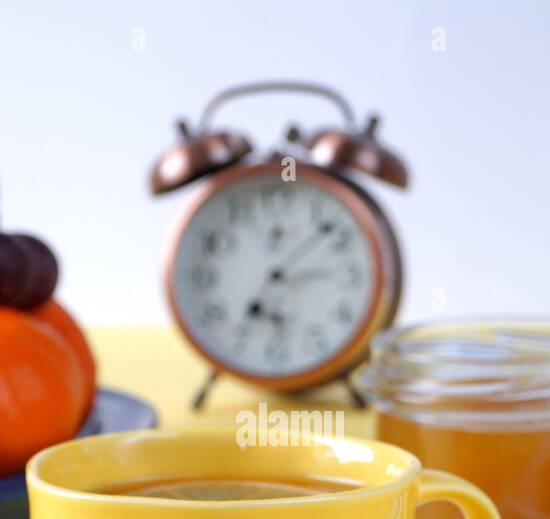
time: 7:07
